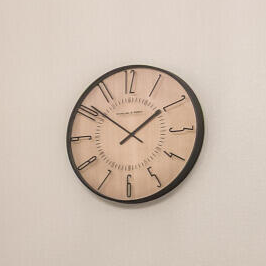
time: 1:51
